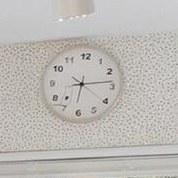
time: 6:13
